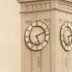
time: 5:11
